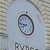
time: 7:44
